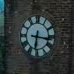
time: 6:16
